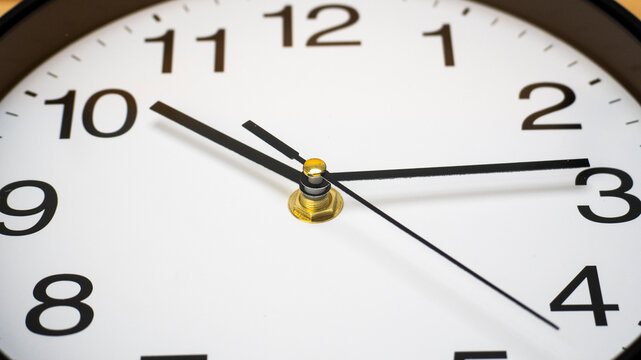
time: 10:13
